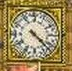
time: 4:22
